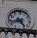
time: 4:42
